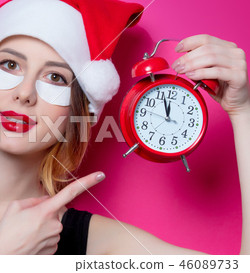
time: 11:56
